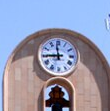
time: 11:44
